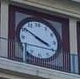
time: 3:50
